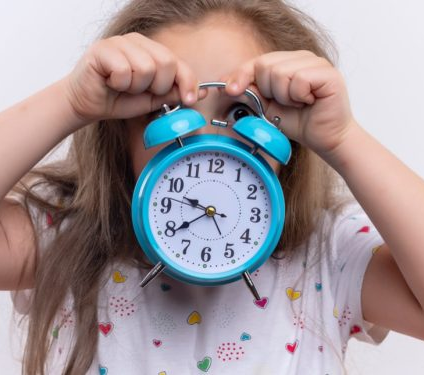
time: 9:39
